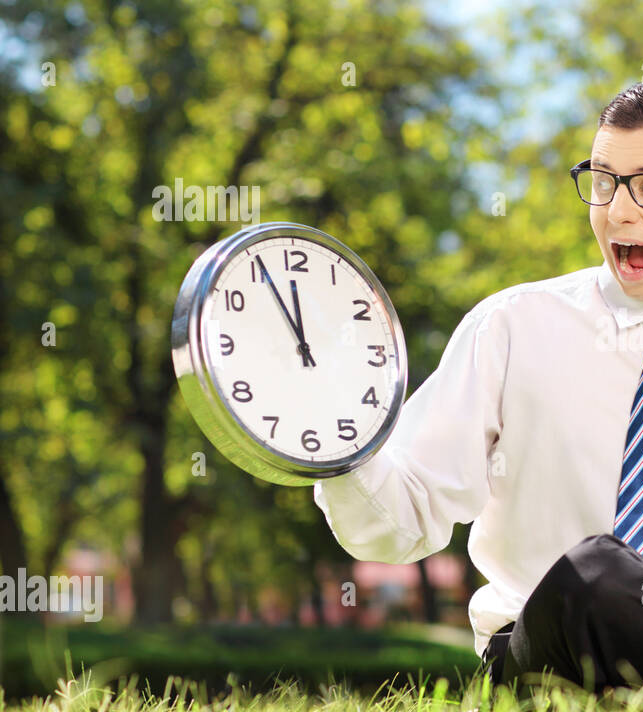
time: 11:55
